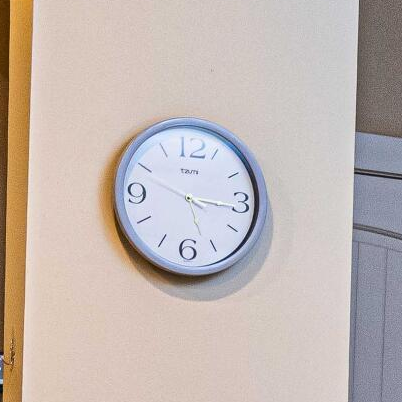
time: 5:16
